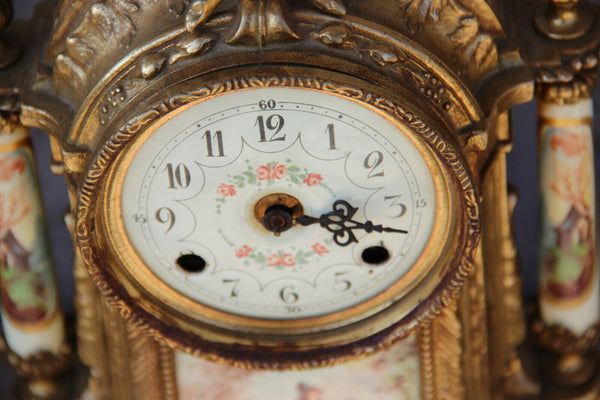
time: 3:17
